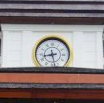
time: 8:28
